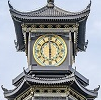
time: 5:59
